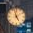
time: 4:57
